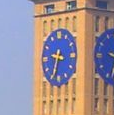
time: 9:33
